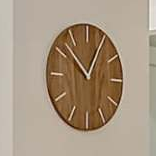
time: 12:52
